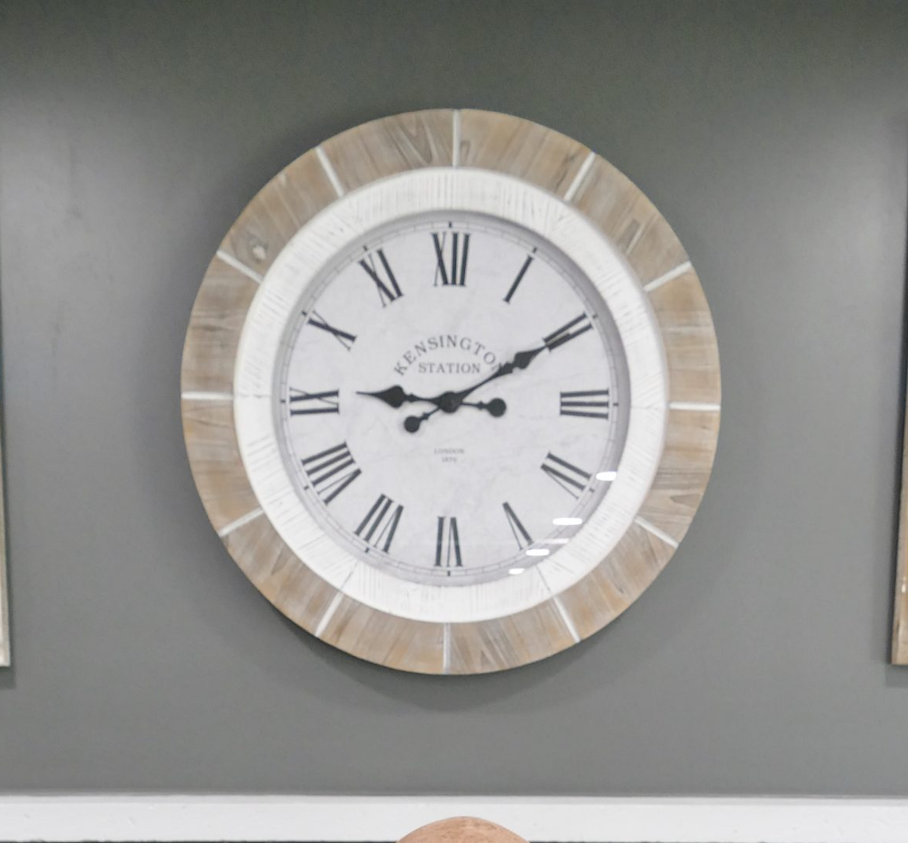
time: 9:10
